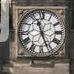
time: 11:26
